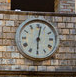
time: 6:02
